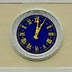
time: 1:01
